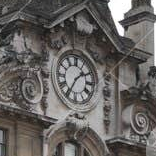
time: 1:35
